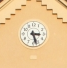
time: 3:27
